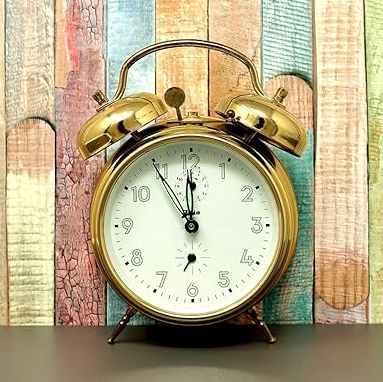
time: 11:54
